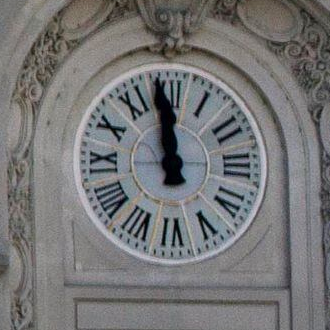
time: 11:58
